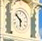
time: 5:51
